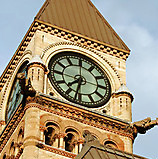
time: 7:32
